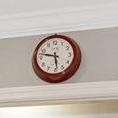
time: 5:47
